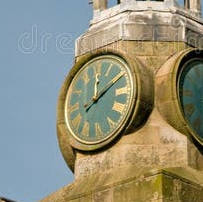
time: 12:09
